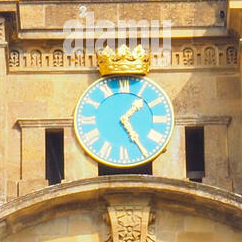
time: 1:24
